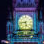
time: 5:43
